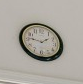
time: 1:46
